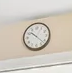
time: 10:22
